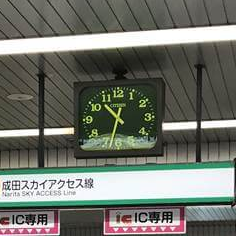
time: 10:33
